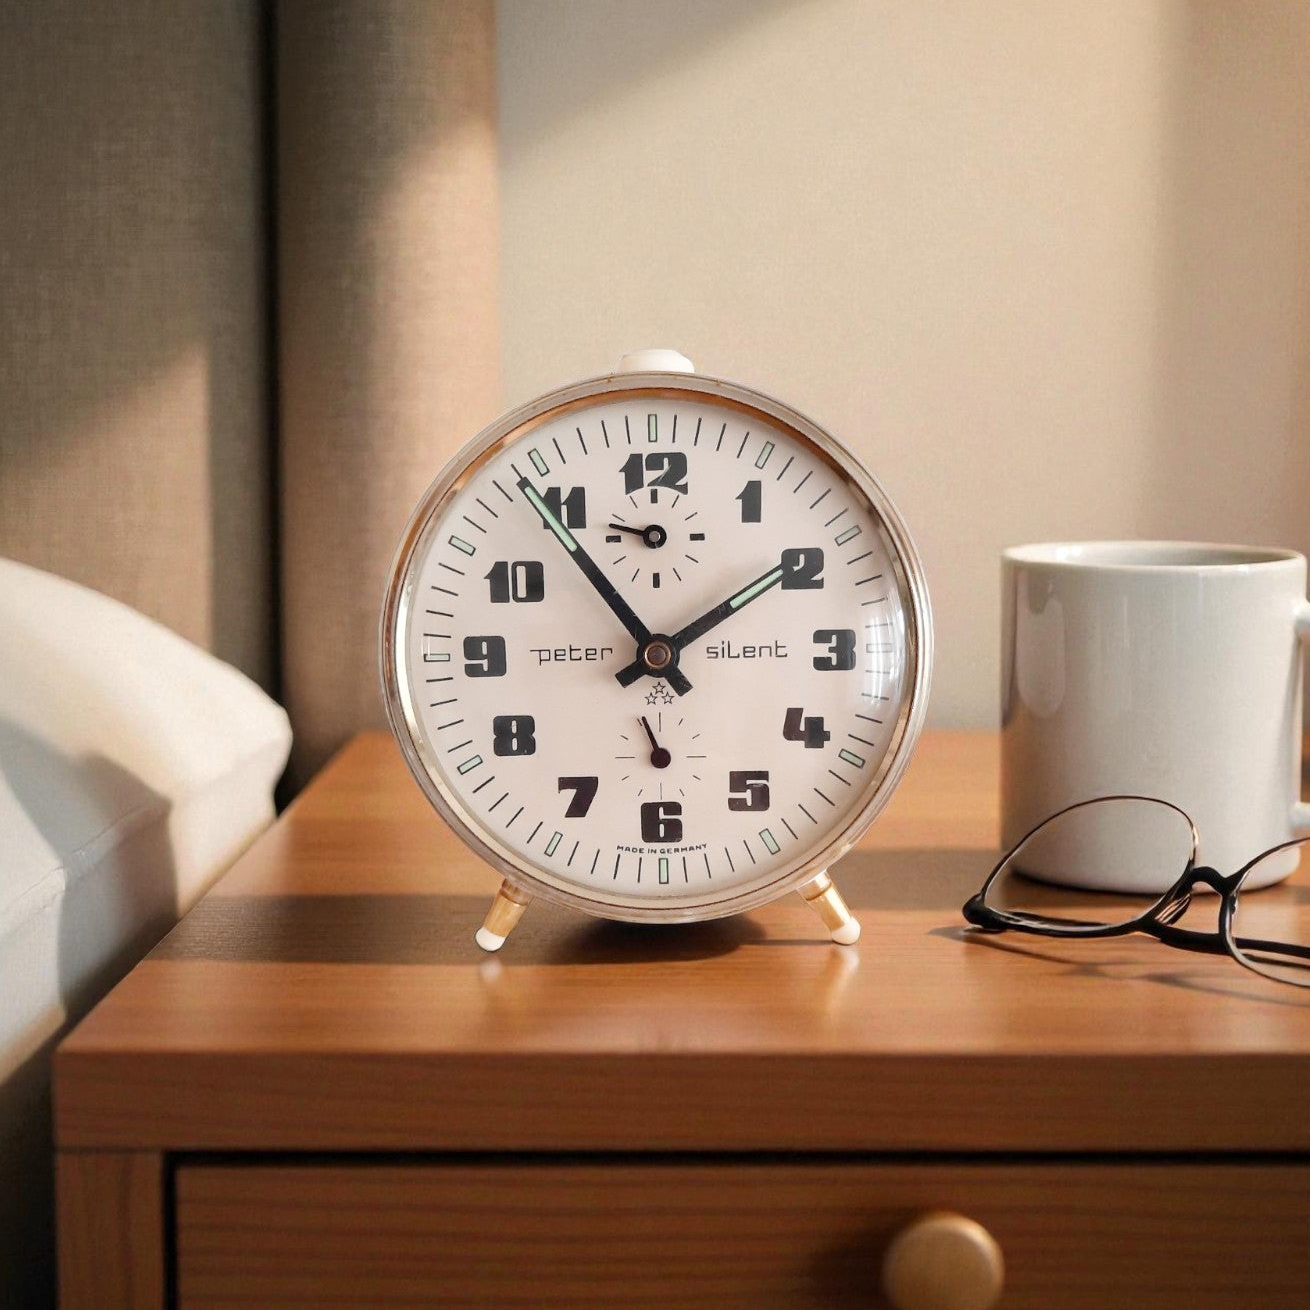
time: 1:54
